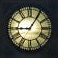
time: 9:05
